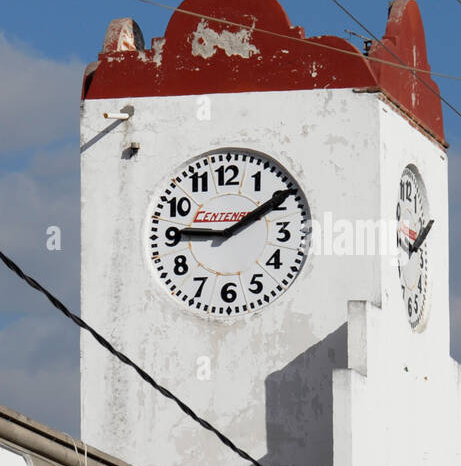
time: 9:09
